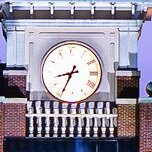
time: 8:34
